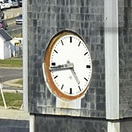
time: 4:43
